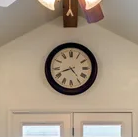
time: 8:23
